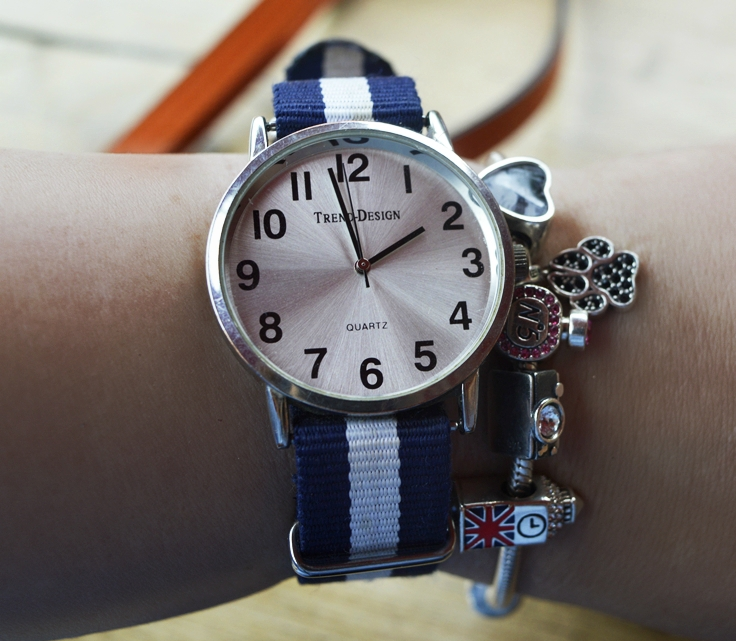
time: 1:57
